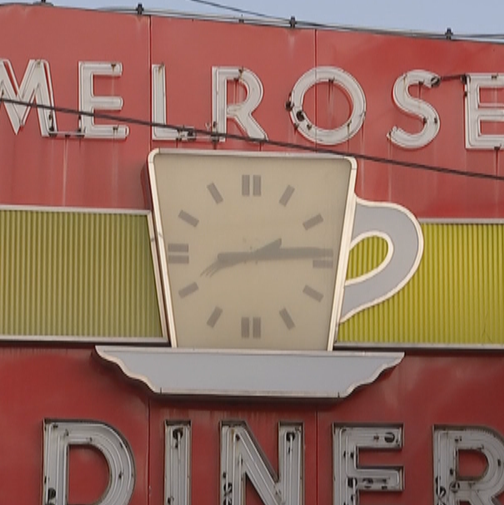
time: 8:14
